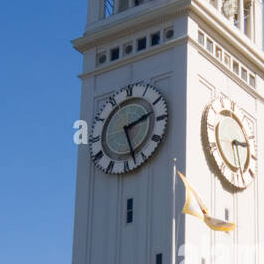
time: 2:27
